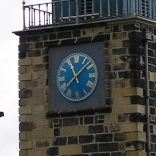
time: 11:08
